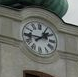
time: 1:45
